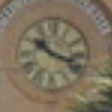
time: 10:17
